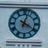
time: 4:02
